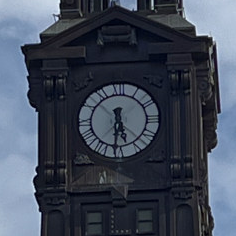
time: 5:30
